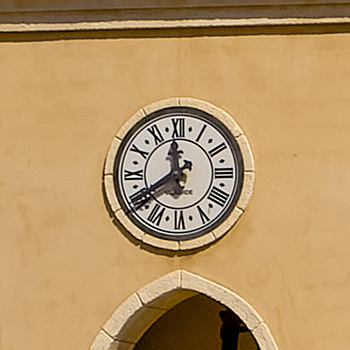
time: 11:40
